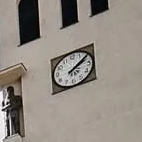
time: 2:09
